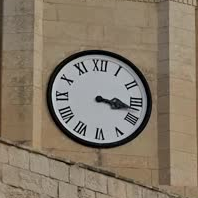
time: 3:17
